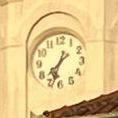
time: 7:33
